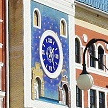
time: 1:28
